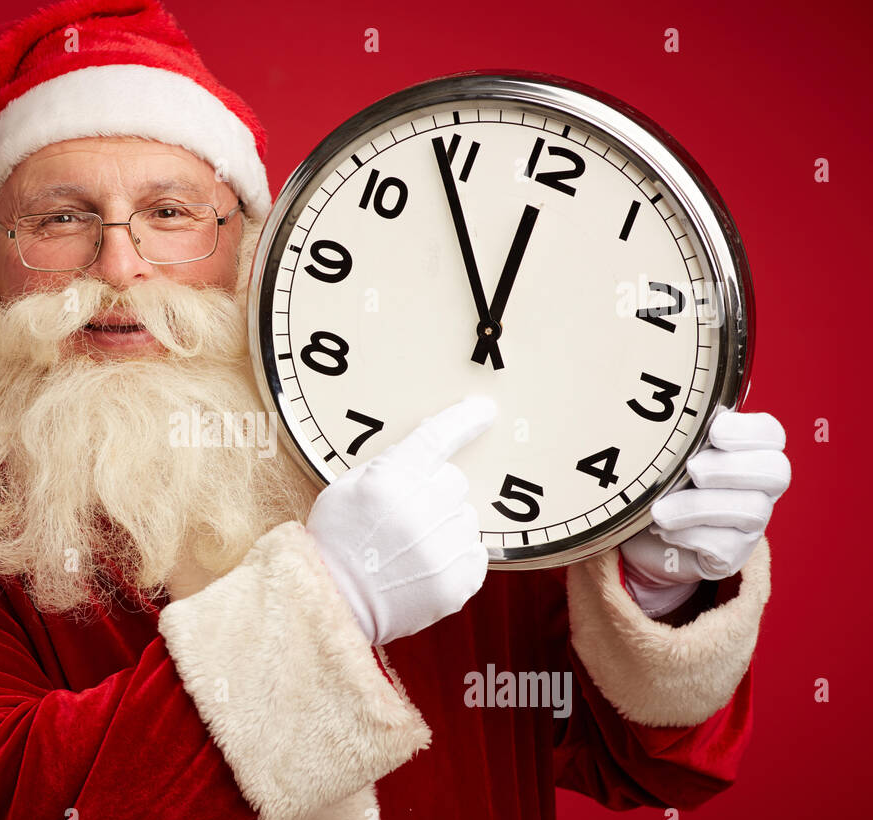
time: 11:54
